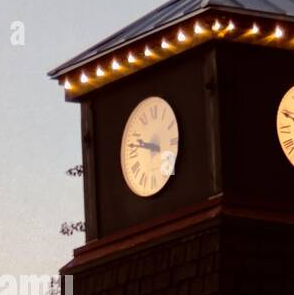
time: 9:47
